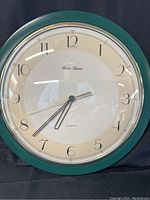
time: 2:37
